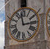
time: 2:58
